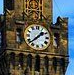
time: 1:37
